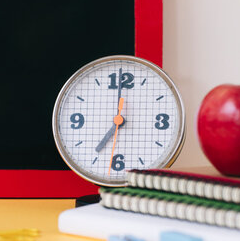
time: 7:00
